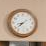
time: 8:38
